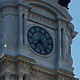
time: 7:24
